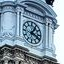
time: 1:18
